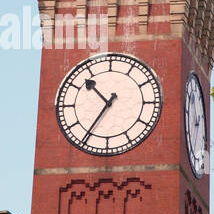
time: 10:35
